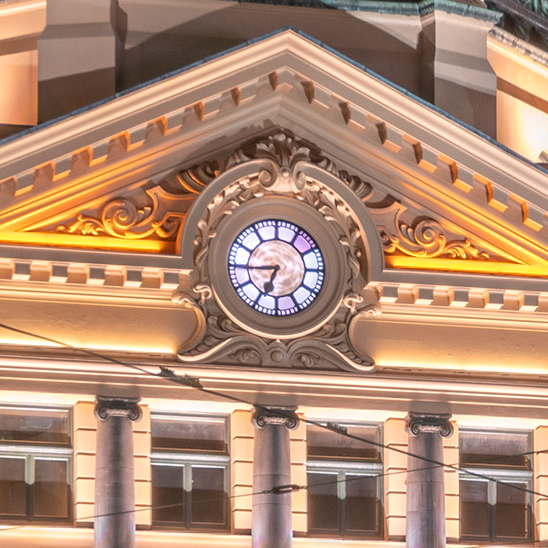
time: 6:43
